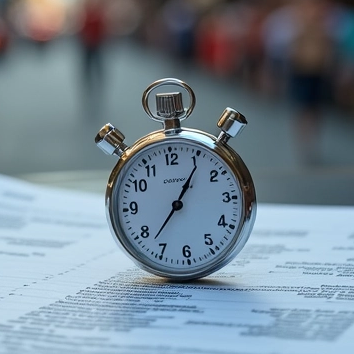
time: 1:05
